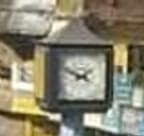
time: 1:49
